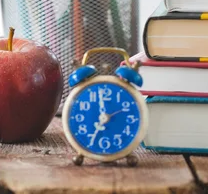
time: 6:58
